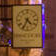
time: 4:34
